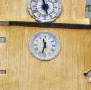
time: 11:32
